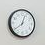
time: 12:38
